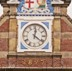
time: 12:21
